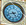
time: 4:42
